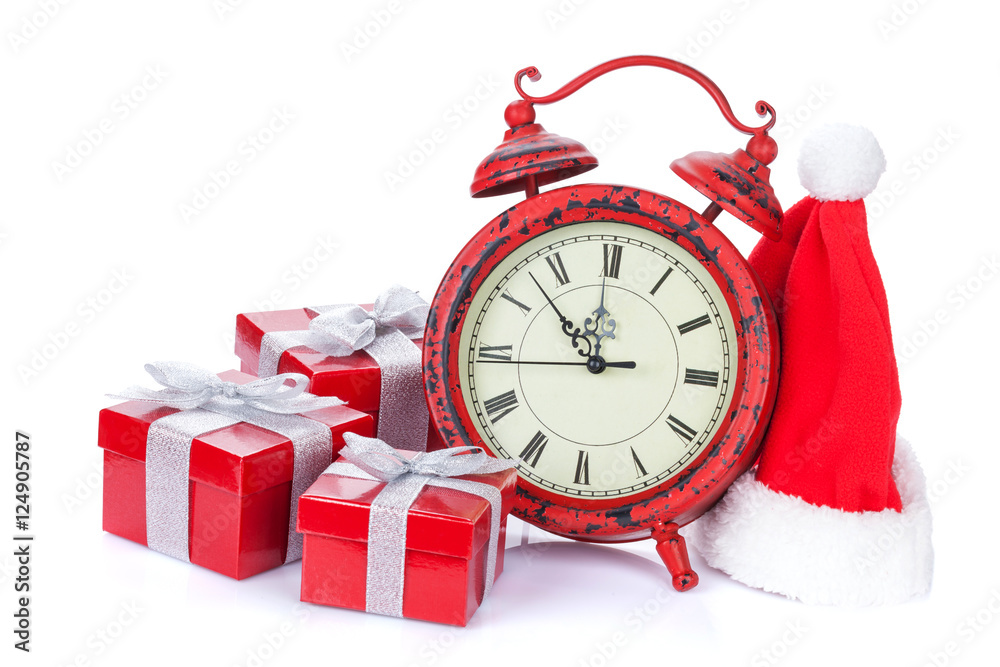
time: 11:52
